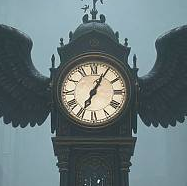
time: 7:04
